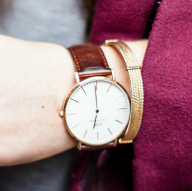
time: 5:59
